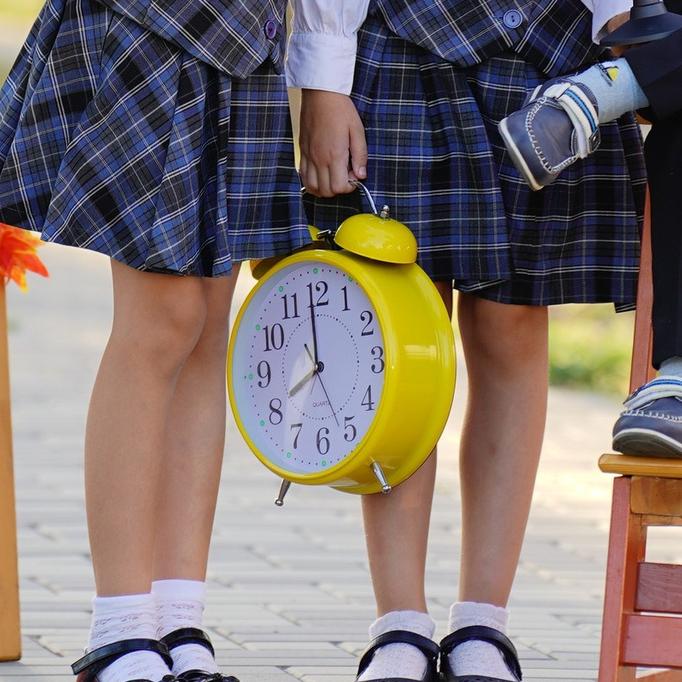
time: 7:59
